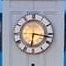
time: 6:16
